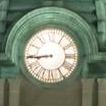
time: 8:44
